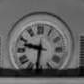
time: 9:31
